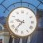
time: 9:36
